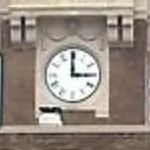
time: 2:59
